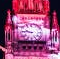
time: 9:45
